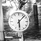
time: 6:07
